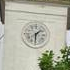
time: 1:30
